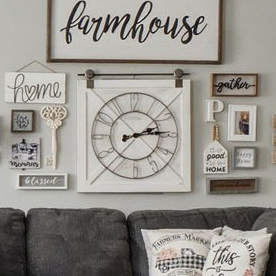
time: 2:14
